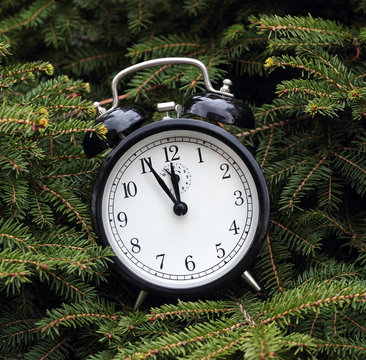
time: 11:55
